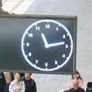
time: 11:13
